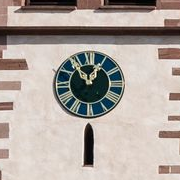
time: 12:54
